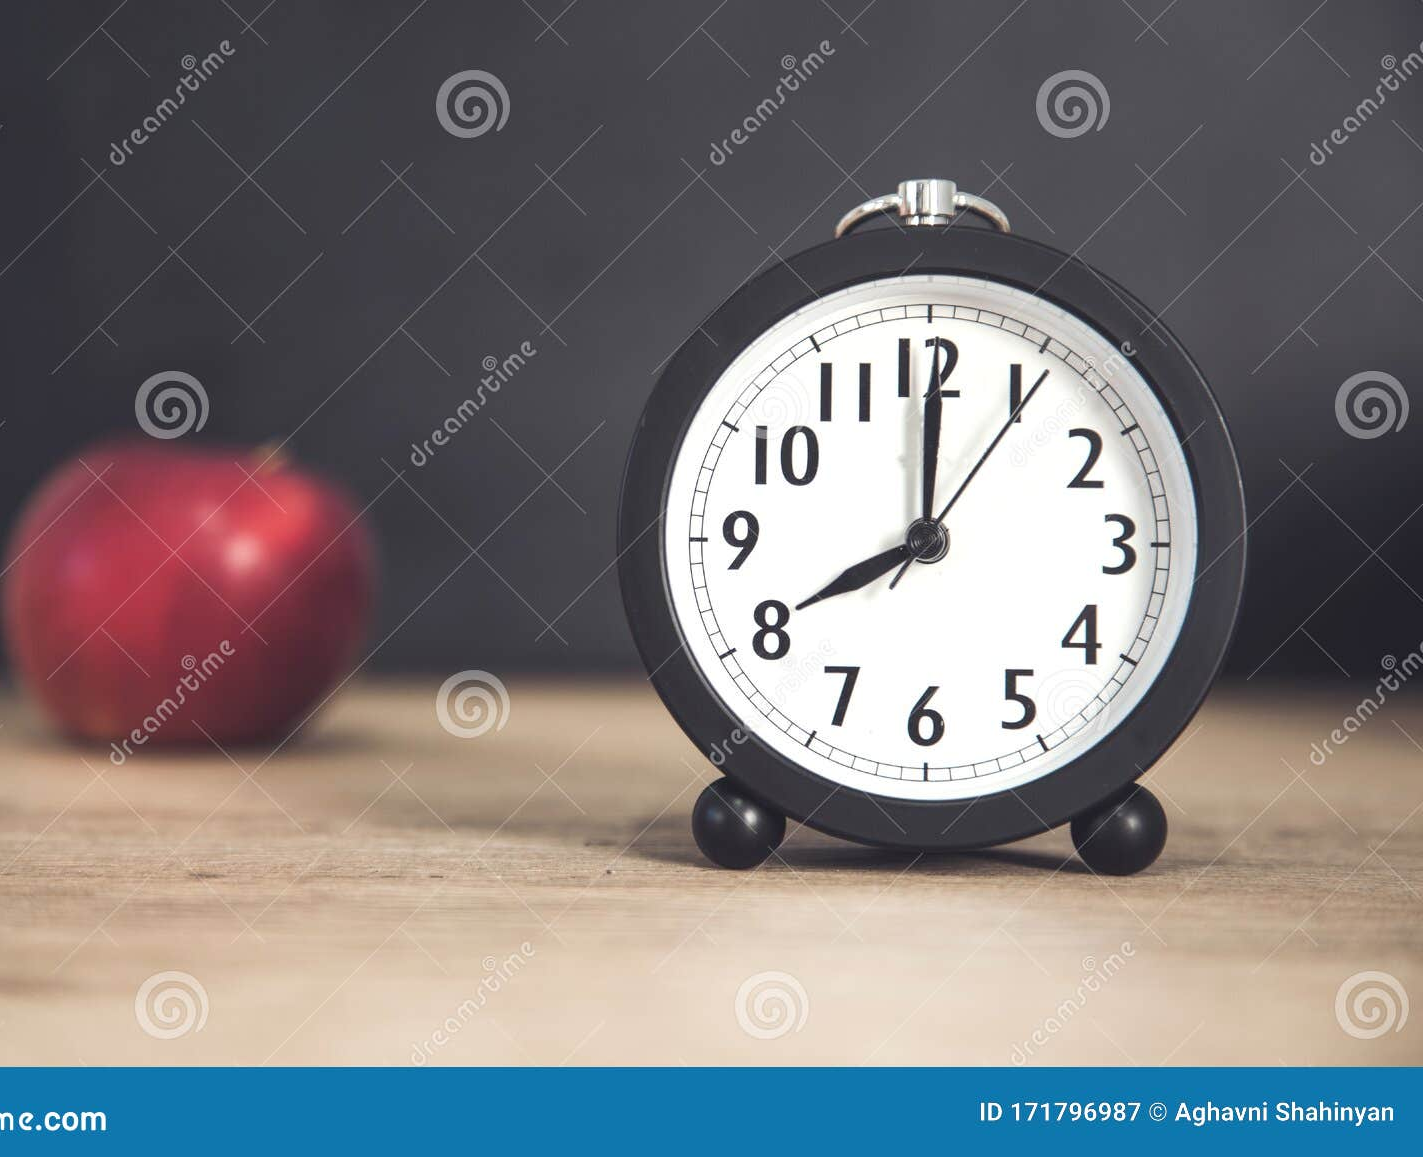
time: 8:00
